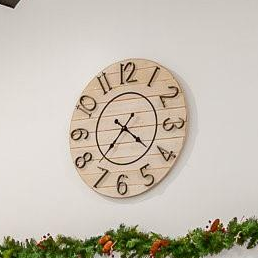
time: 7:21
